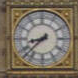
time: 8:37
